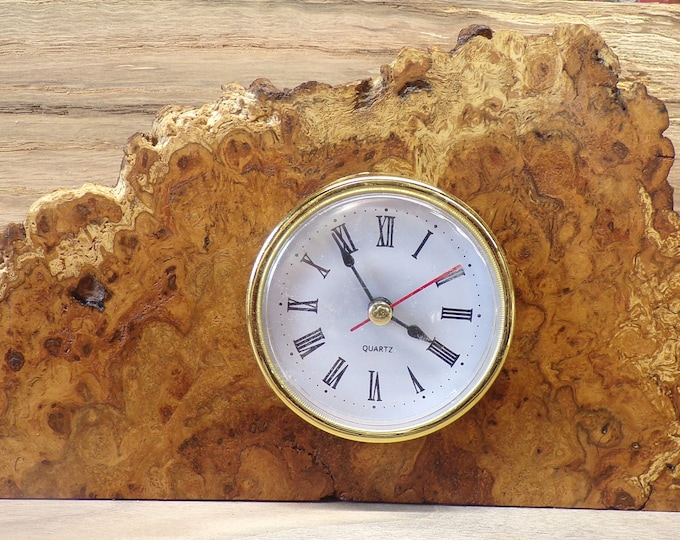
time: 3:54
